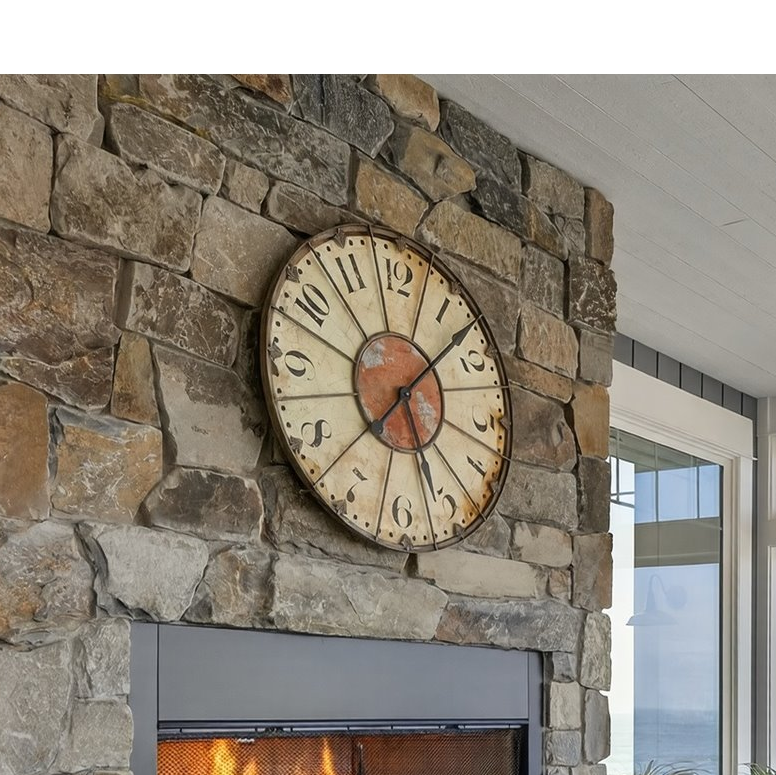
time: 5:07
